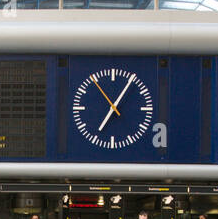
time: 7:05
